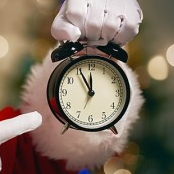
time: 11:55
